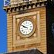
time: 9:50
